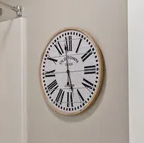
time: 5:59
